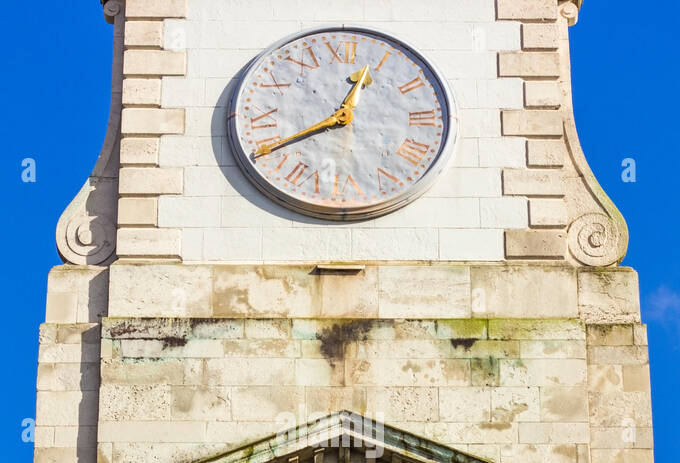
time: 12:40
